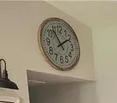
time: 1:54
